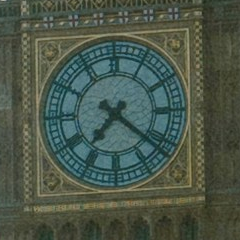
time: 7:21
